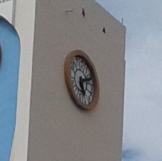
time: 5:11
